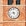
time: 4:42
